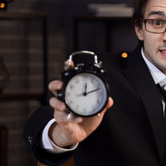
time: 12:11
